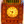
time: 9:33
